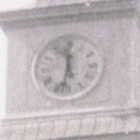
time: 11:32
